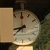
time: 8:38
